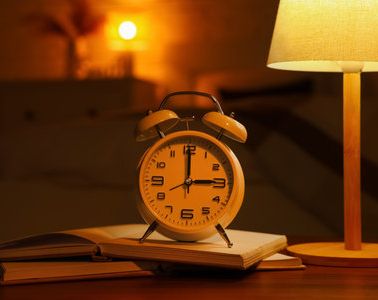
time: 3:00
